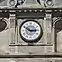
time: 2:49
